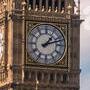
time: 1:12
